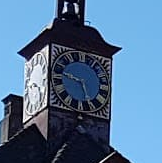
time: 9:26
